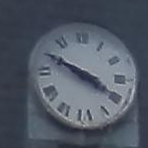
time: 3:49
